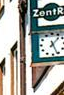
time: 1:26
